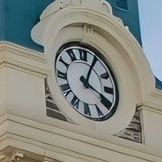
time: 4:04
